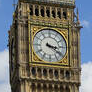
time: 3:21
